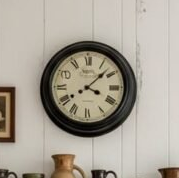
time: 4:07
